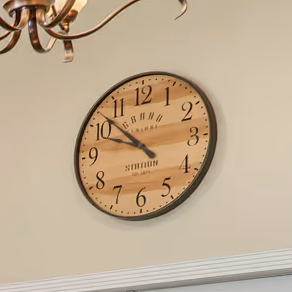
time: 9:52
